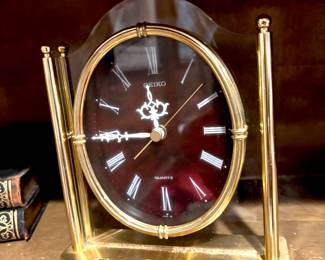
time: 11:44
